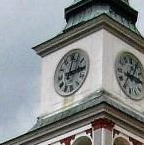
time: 3:02
